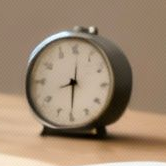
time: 8:30
